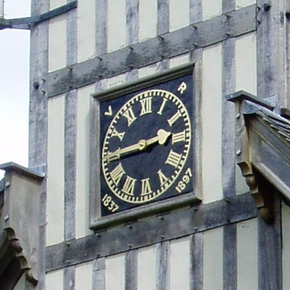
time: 2:45
